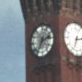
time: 2:36
